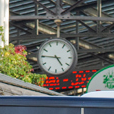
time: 4:45
